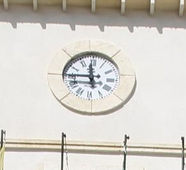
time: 11:44
